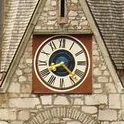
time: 8:22
